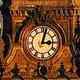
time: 3:02
